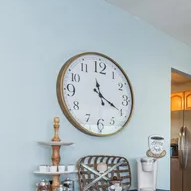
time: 11:19
